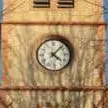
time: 4:07
